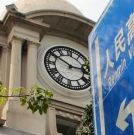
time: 2:50
